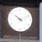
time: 10:10
